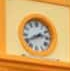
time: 2:40
